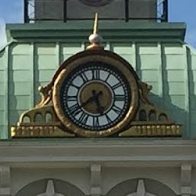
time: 5:38
